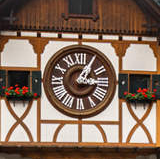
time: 3:05
